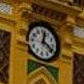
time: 12:20
